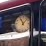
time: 11:07
